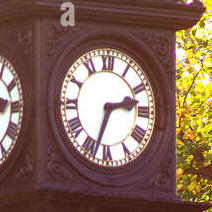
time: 2:33
